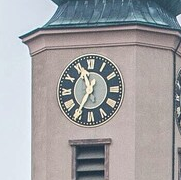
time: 11:35
